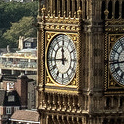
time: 11:44
